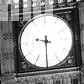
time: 9:30
